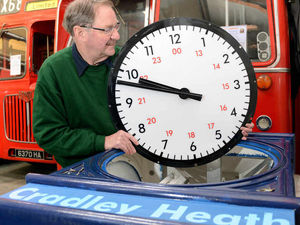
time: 9:48
